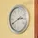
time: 2:40
